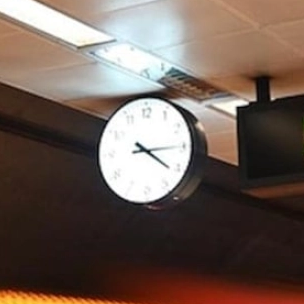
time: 4:14
